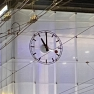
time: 11:00
